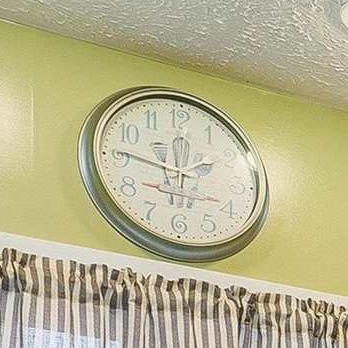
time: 1:46
